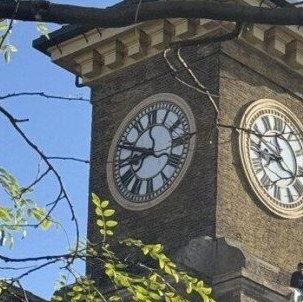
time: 8:48
